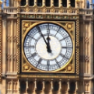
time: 11:55
